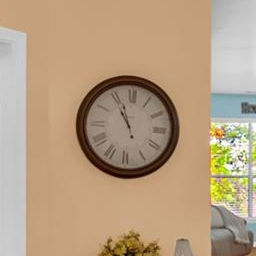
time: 10:56
